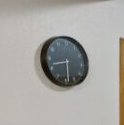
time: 8:29
